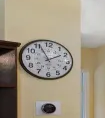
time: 1:55
